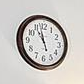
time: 10:57
